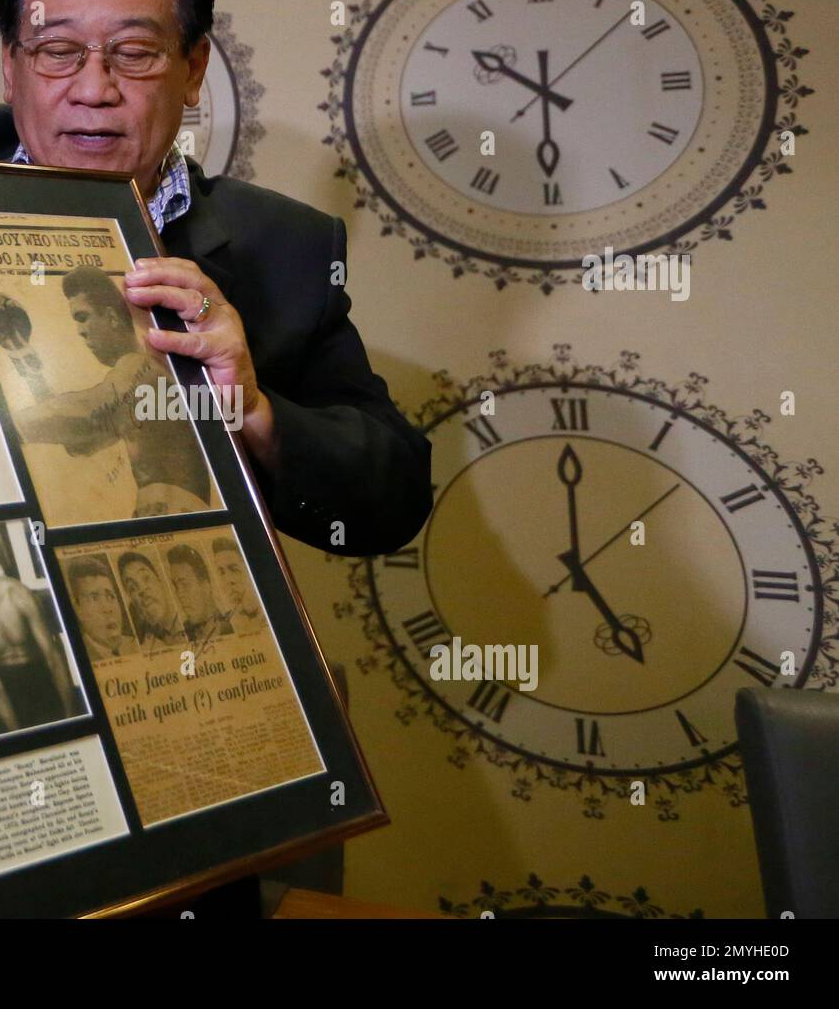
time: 5:00
